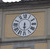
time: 6:29
